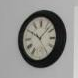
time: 10:07
